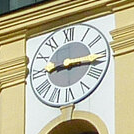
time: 9:16
